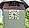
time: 3:29
